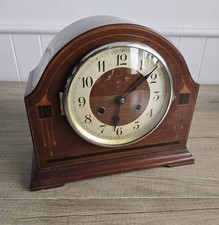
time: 6:08
